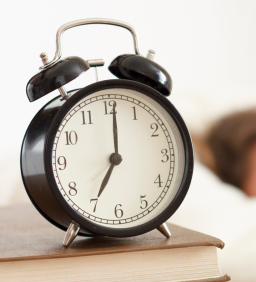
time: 7:00
